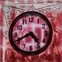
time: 4:40
